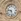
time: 9:28
